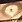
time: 4:35
